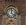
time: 12:22
